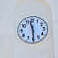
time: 11:29
